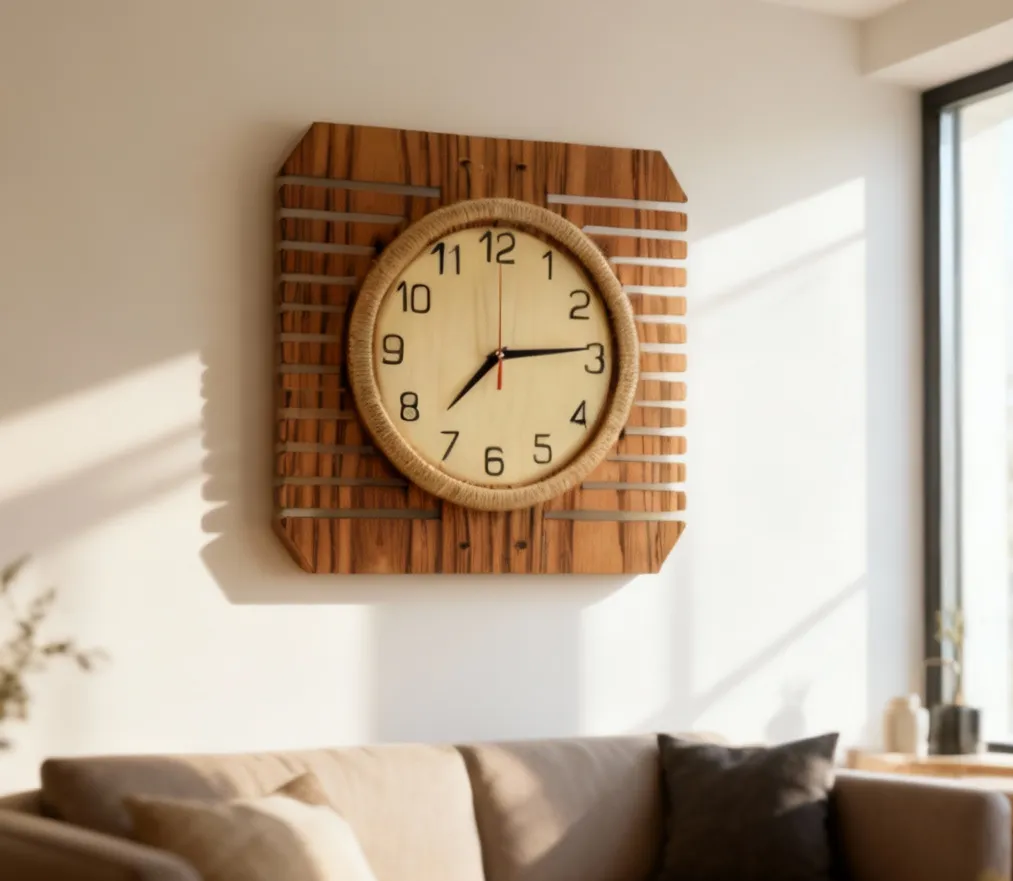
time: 7:14
